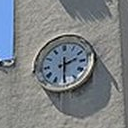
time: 2:30
